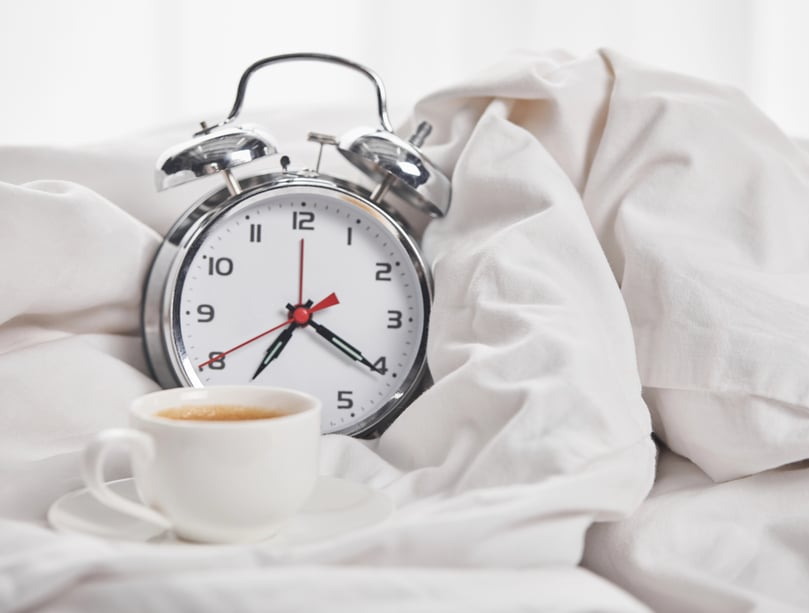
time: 7:20
